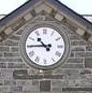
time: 10:45
